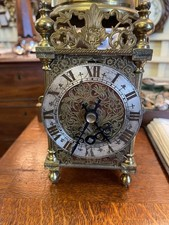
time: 4:34
